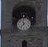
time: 11:37
